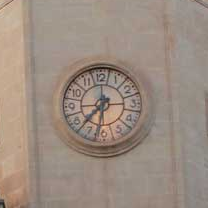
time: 7:32
